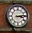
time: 3:13
